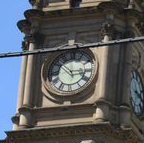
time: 2:52
